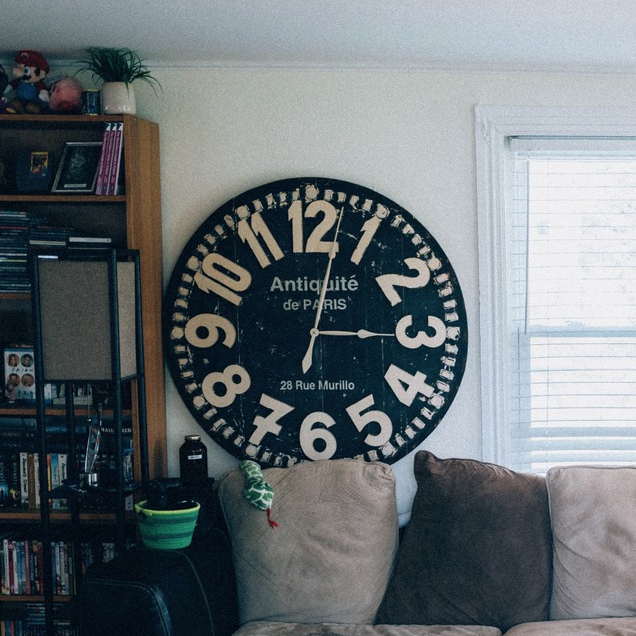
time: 3:02
